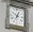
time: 12:49
